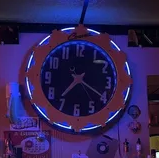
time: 7:20
